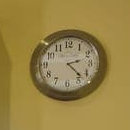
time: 2:22
